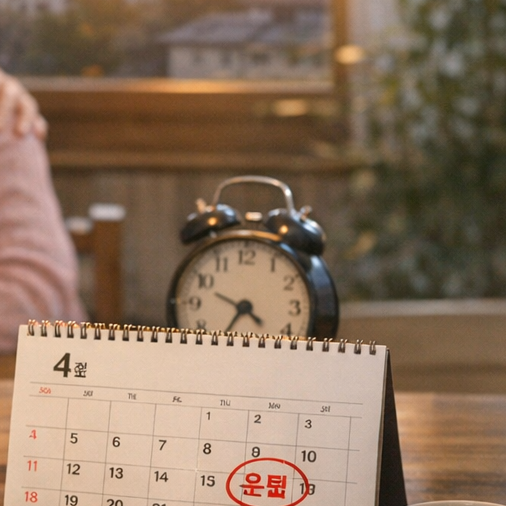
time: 4:35
